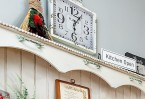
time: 6:04
